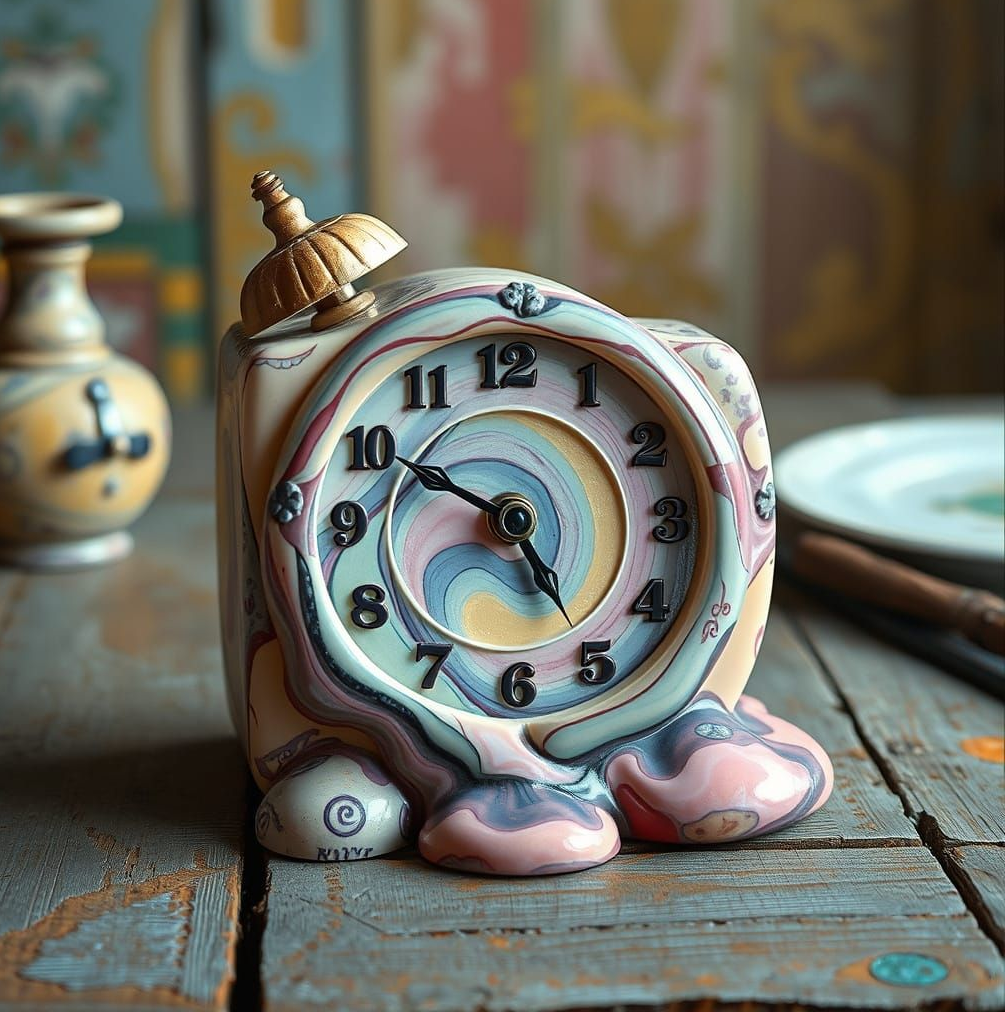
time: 4:49
